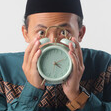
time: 4:11
